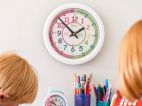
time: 1:52
